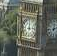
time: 12:13
